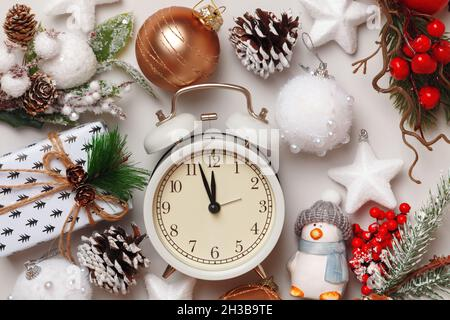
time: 11:56
